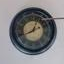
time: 12:40
